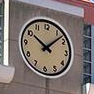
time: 10:07
